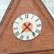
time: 7:23
